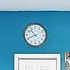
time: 10:41
